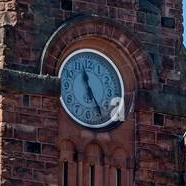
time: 11:24
